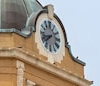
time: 7:42
